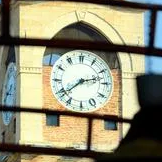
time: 2:38
